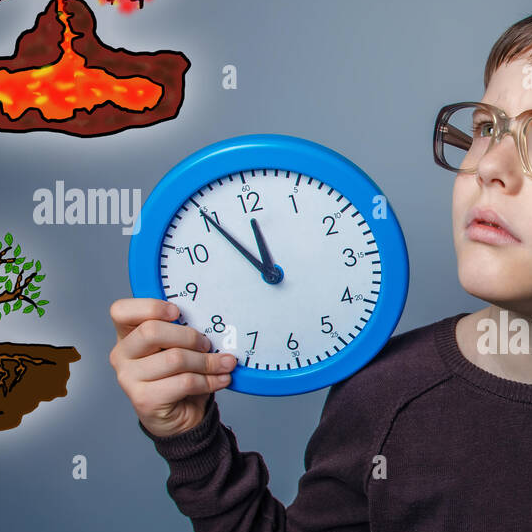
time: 11:54
